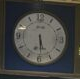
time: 5:29
